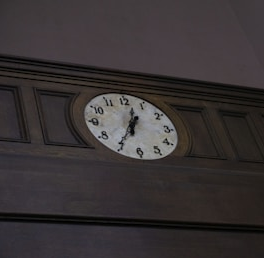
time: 12:35
